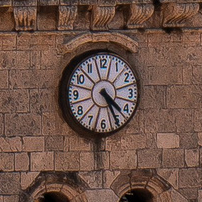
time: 4:25
